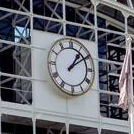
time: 1:09
